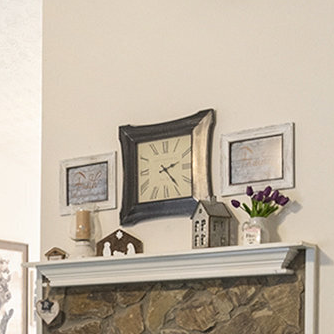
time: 2:23
